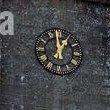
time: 12:58
